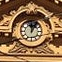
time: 12:05
